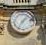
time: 7:07
